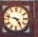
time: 4:47
